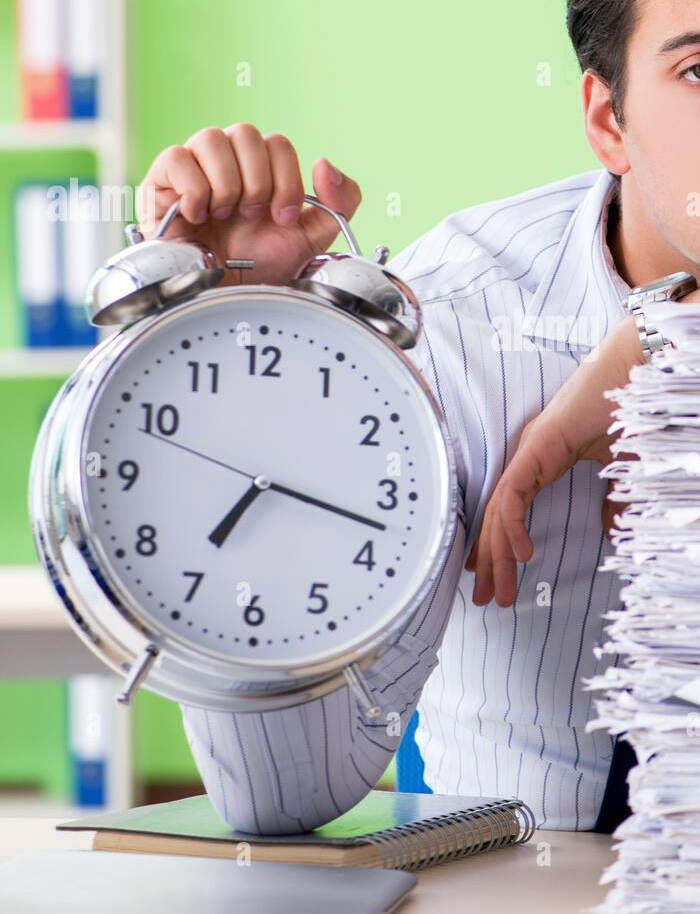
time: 7:17
